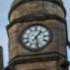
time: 1:28
